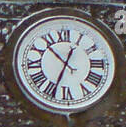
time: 10:34
